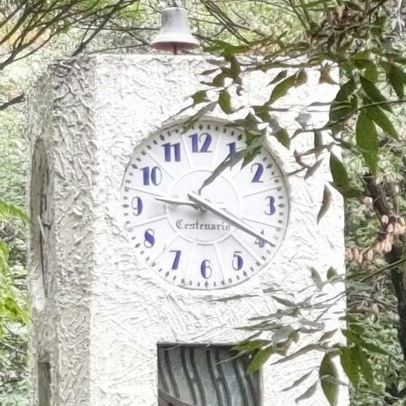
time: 1:20
